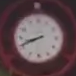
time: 8:41
